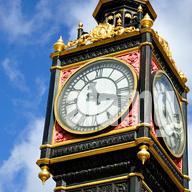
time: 11:17
